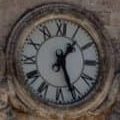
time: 1:26
